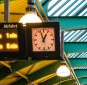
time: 12:56
